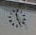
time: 11:25
